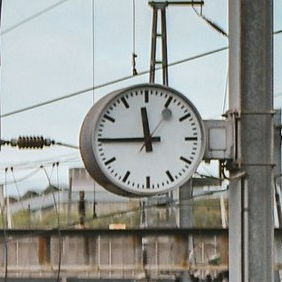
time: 11:44
